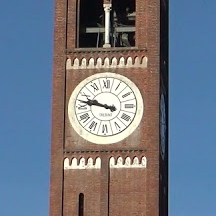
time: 9:47
